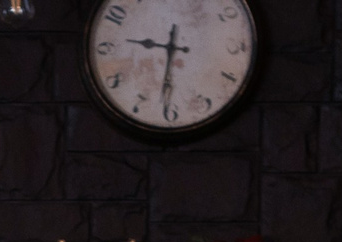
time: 9:31
